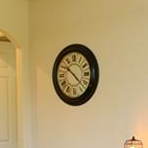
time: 10:22
